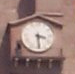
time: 3:29
